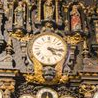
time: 4:16
